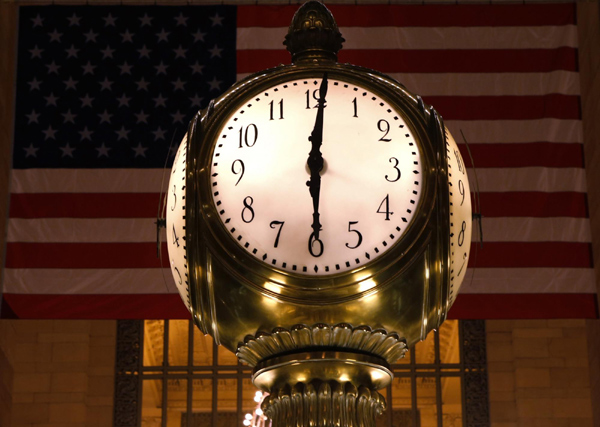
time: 6:00
